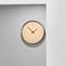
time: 1:52
